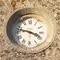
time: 3:47
